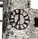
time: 7:00
